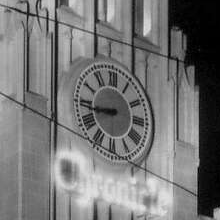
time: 8:43
